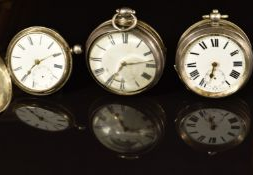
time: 2:34
